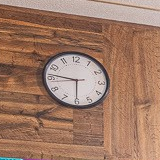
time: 5:46
